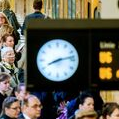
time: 8:12
